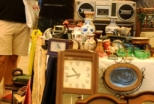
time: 10:42
